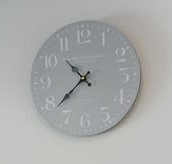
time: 10:38
